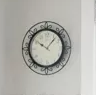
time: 10:07
